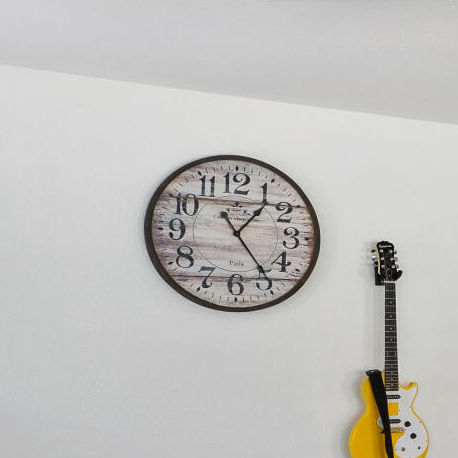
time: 1:24
